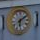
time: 6:08
